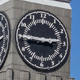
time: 2:45
